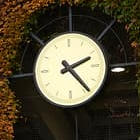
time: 2:23
